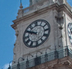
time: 9:50
